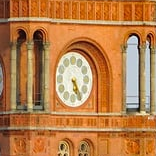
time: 5:24
